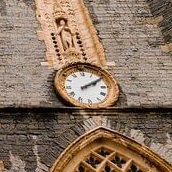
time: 2:09
